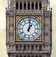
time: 1:01
